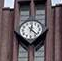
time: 12:22
